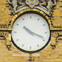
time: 10:18
